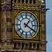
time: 1:20
